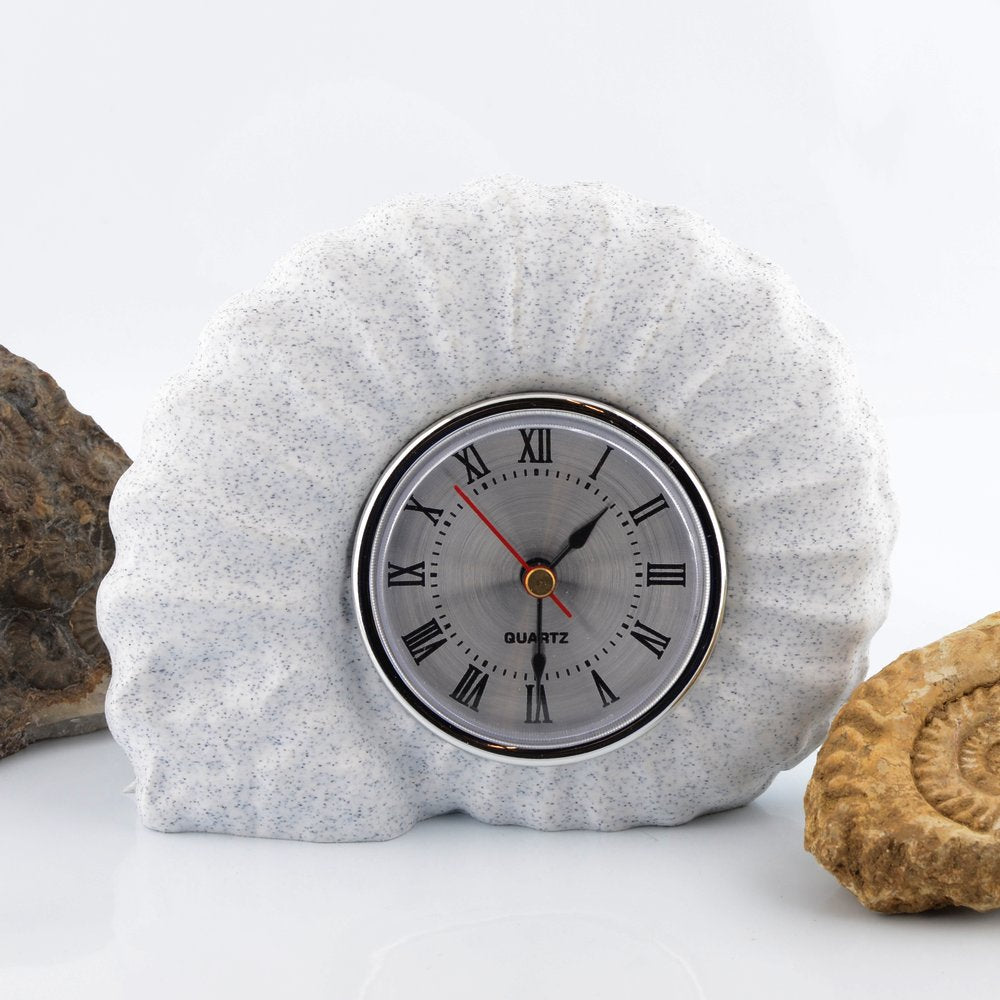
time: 1:30
